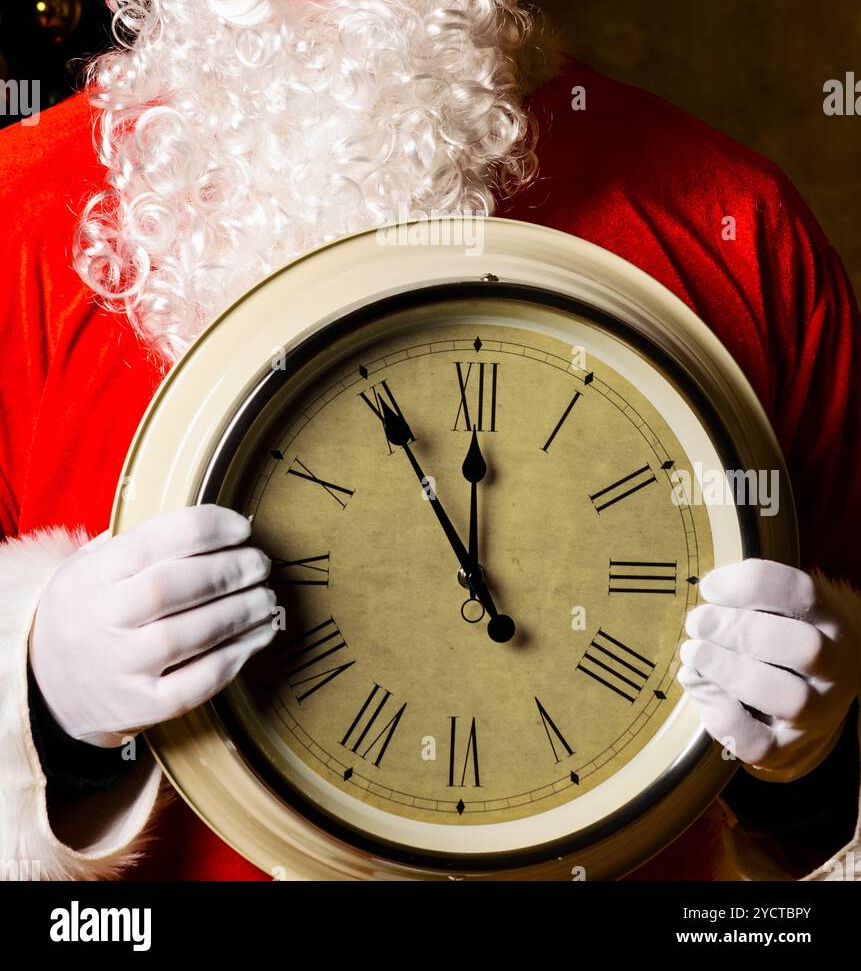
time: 11:54
